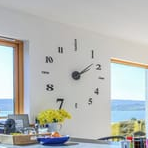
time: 2:08
